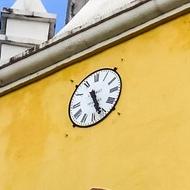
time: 5:26
